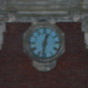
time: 12:32
